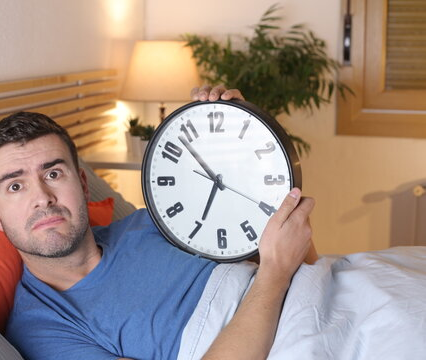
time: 6:53
